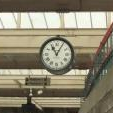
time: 11:04
